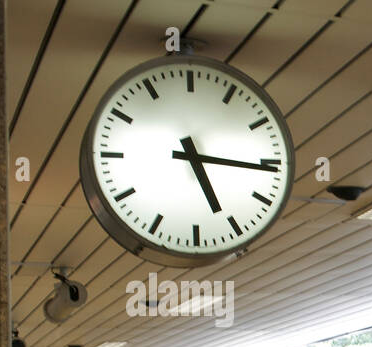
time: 5:16
